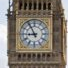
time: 8:54
